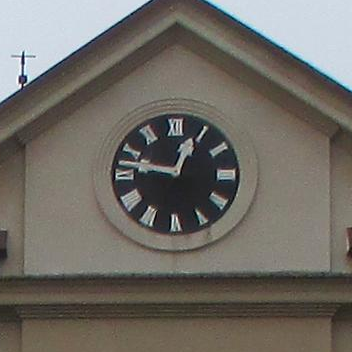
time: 12:47
